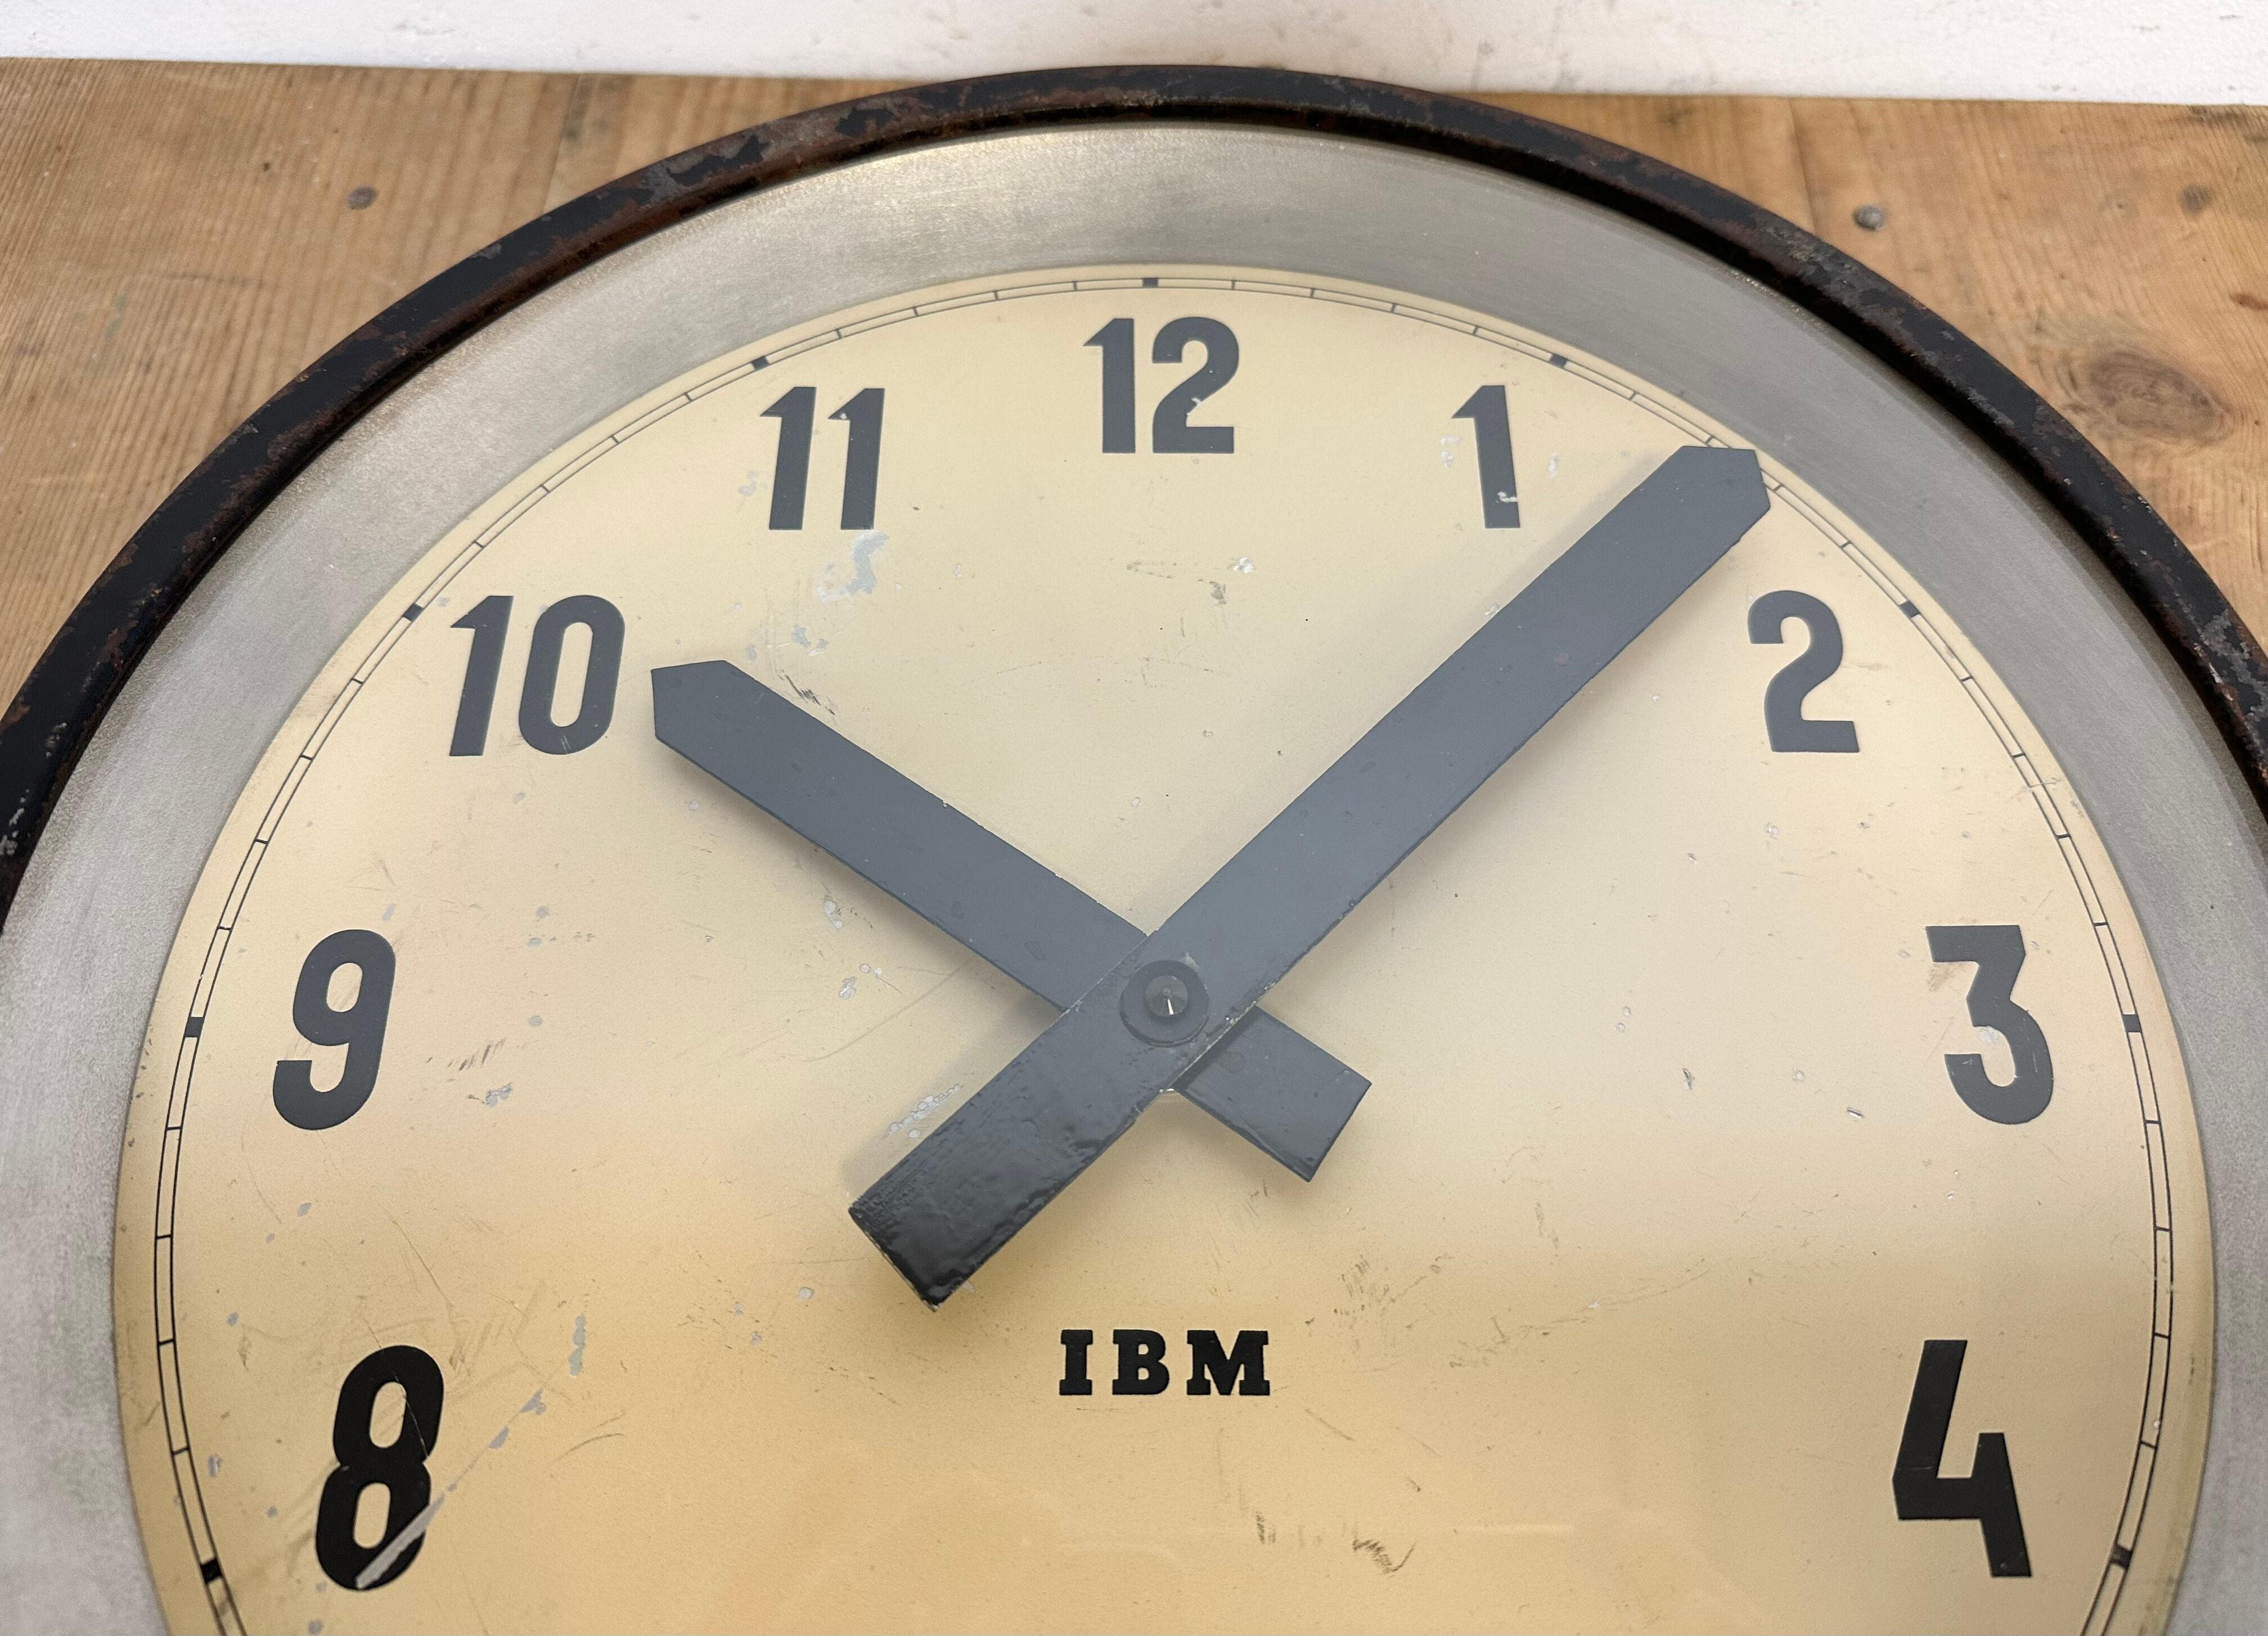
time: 10:07
